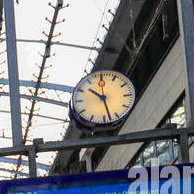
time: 10:28
